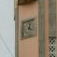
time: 4:02
